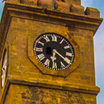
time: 6:20
